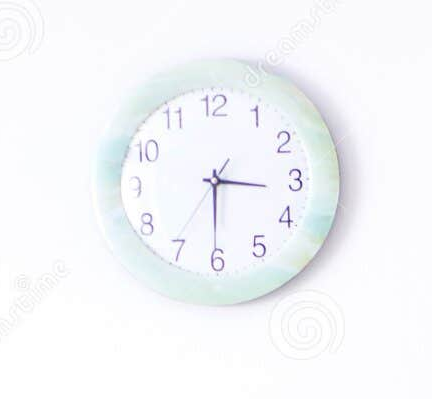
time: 3:30
